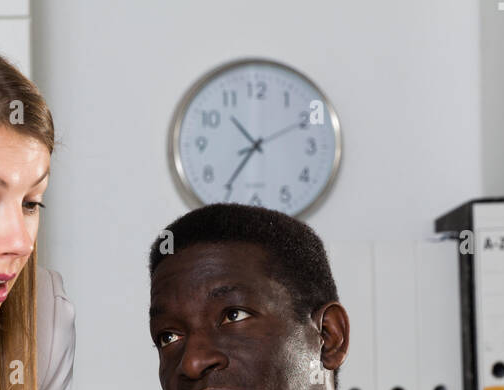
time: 10:36
